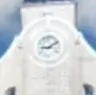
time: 9:10
